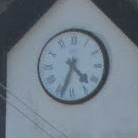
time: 4:33
